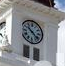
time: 10:22
